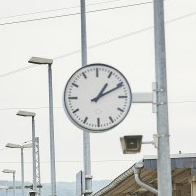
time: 1:10
